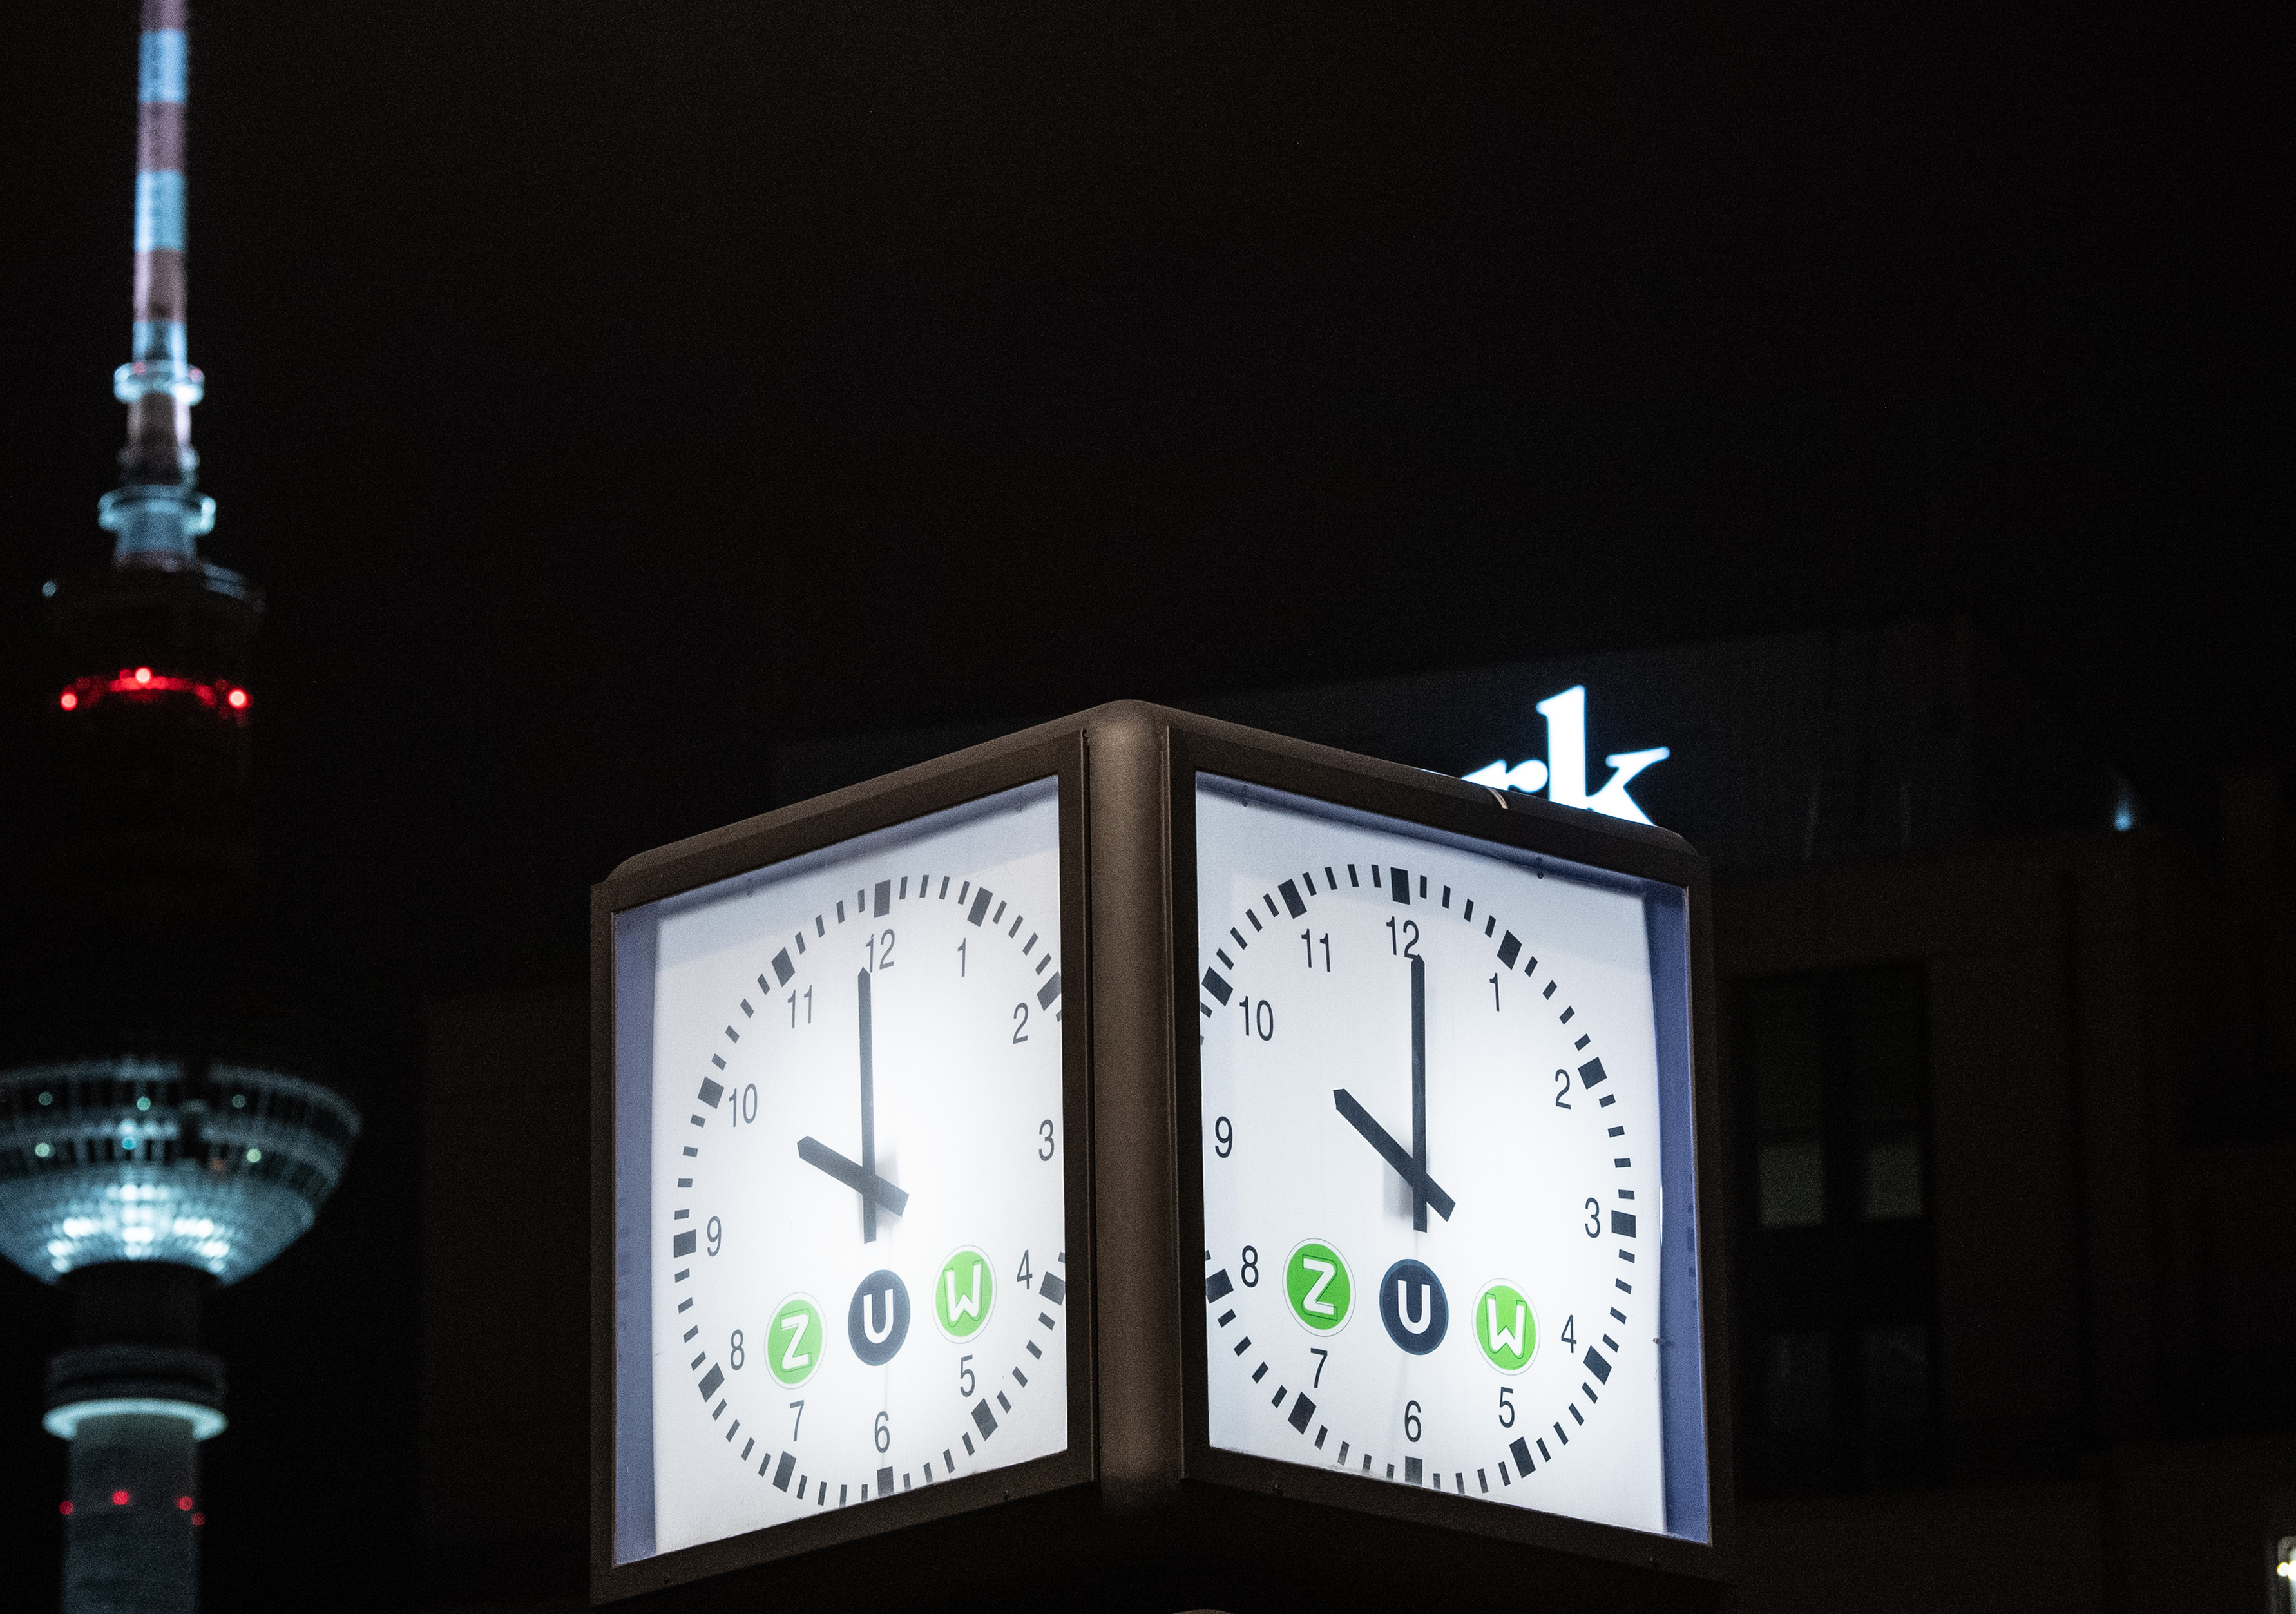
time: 10:00
